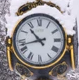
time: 10:42
